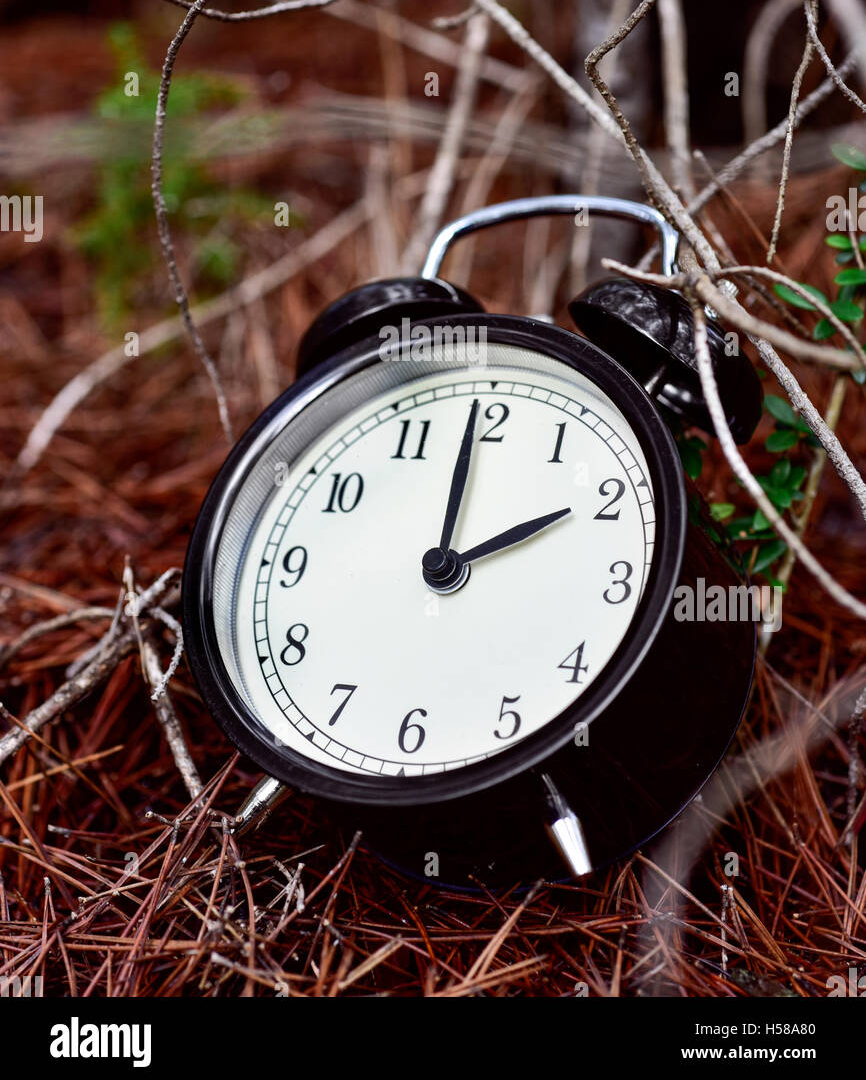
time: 1:59
